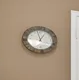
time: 12:57
